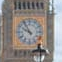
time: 9:54
